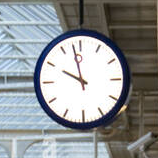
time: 9:57
